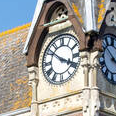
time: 3:51
